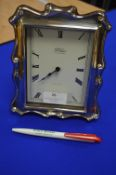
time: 7:38
